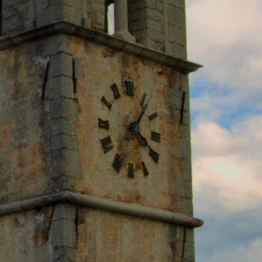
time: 1:20
